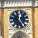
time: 12:24
